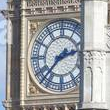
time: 2:37
